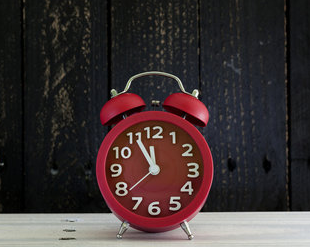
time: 11:55
